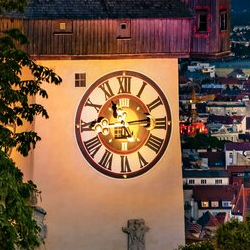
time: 11:13
